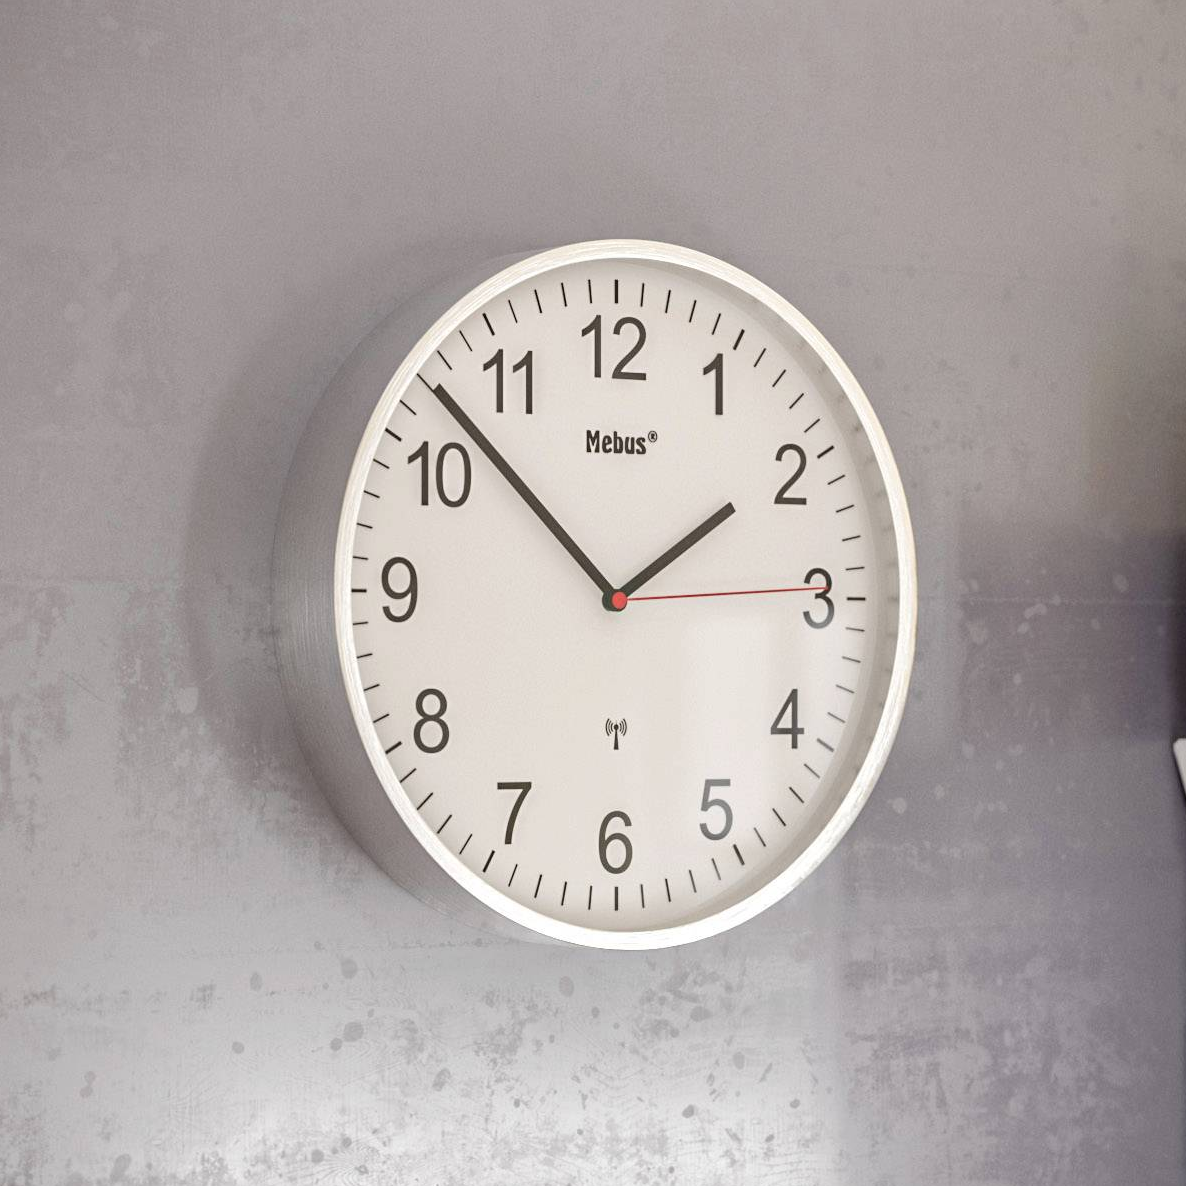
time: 1:52
